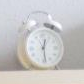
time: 12:28
